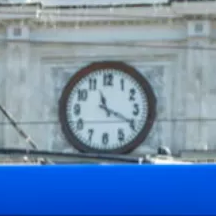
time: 11:19
